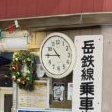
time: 10:45
